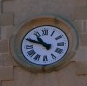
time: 10:48
